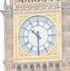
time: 10:30
